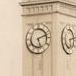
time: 5:11
